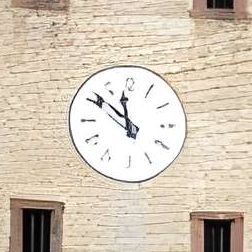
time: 11:51
